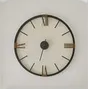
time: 6:32
